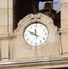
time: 11:49
